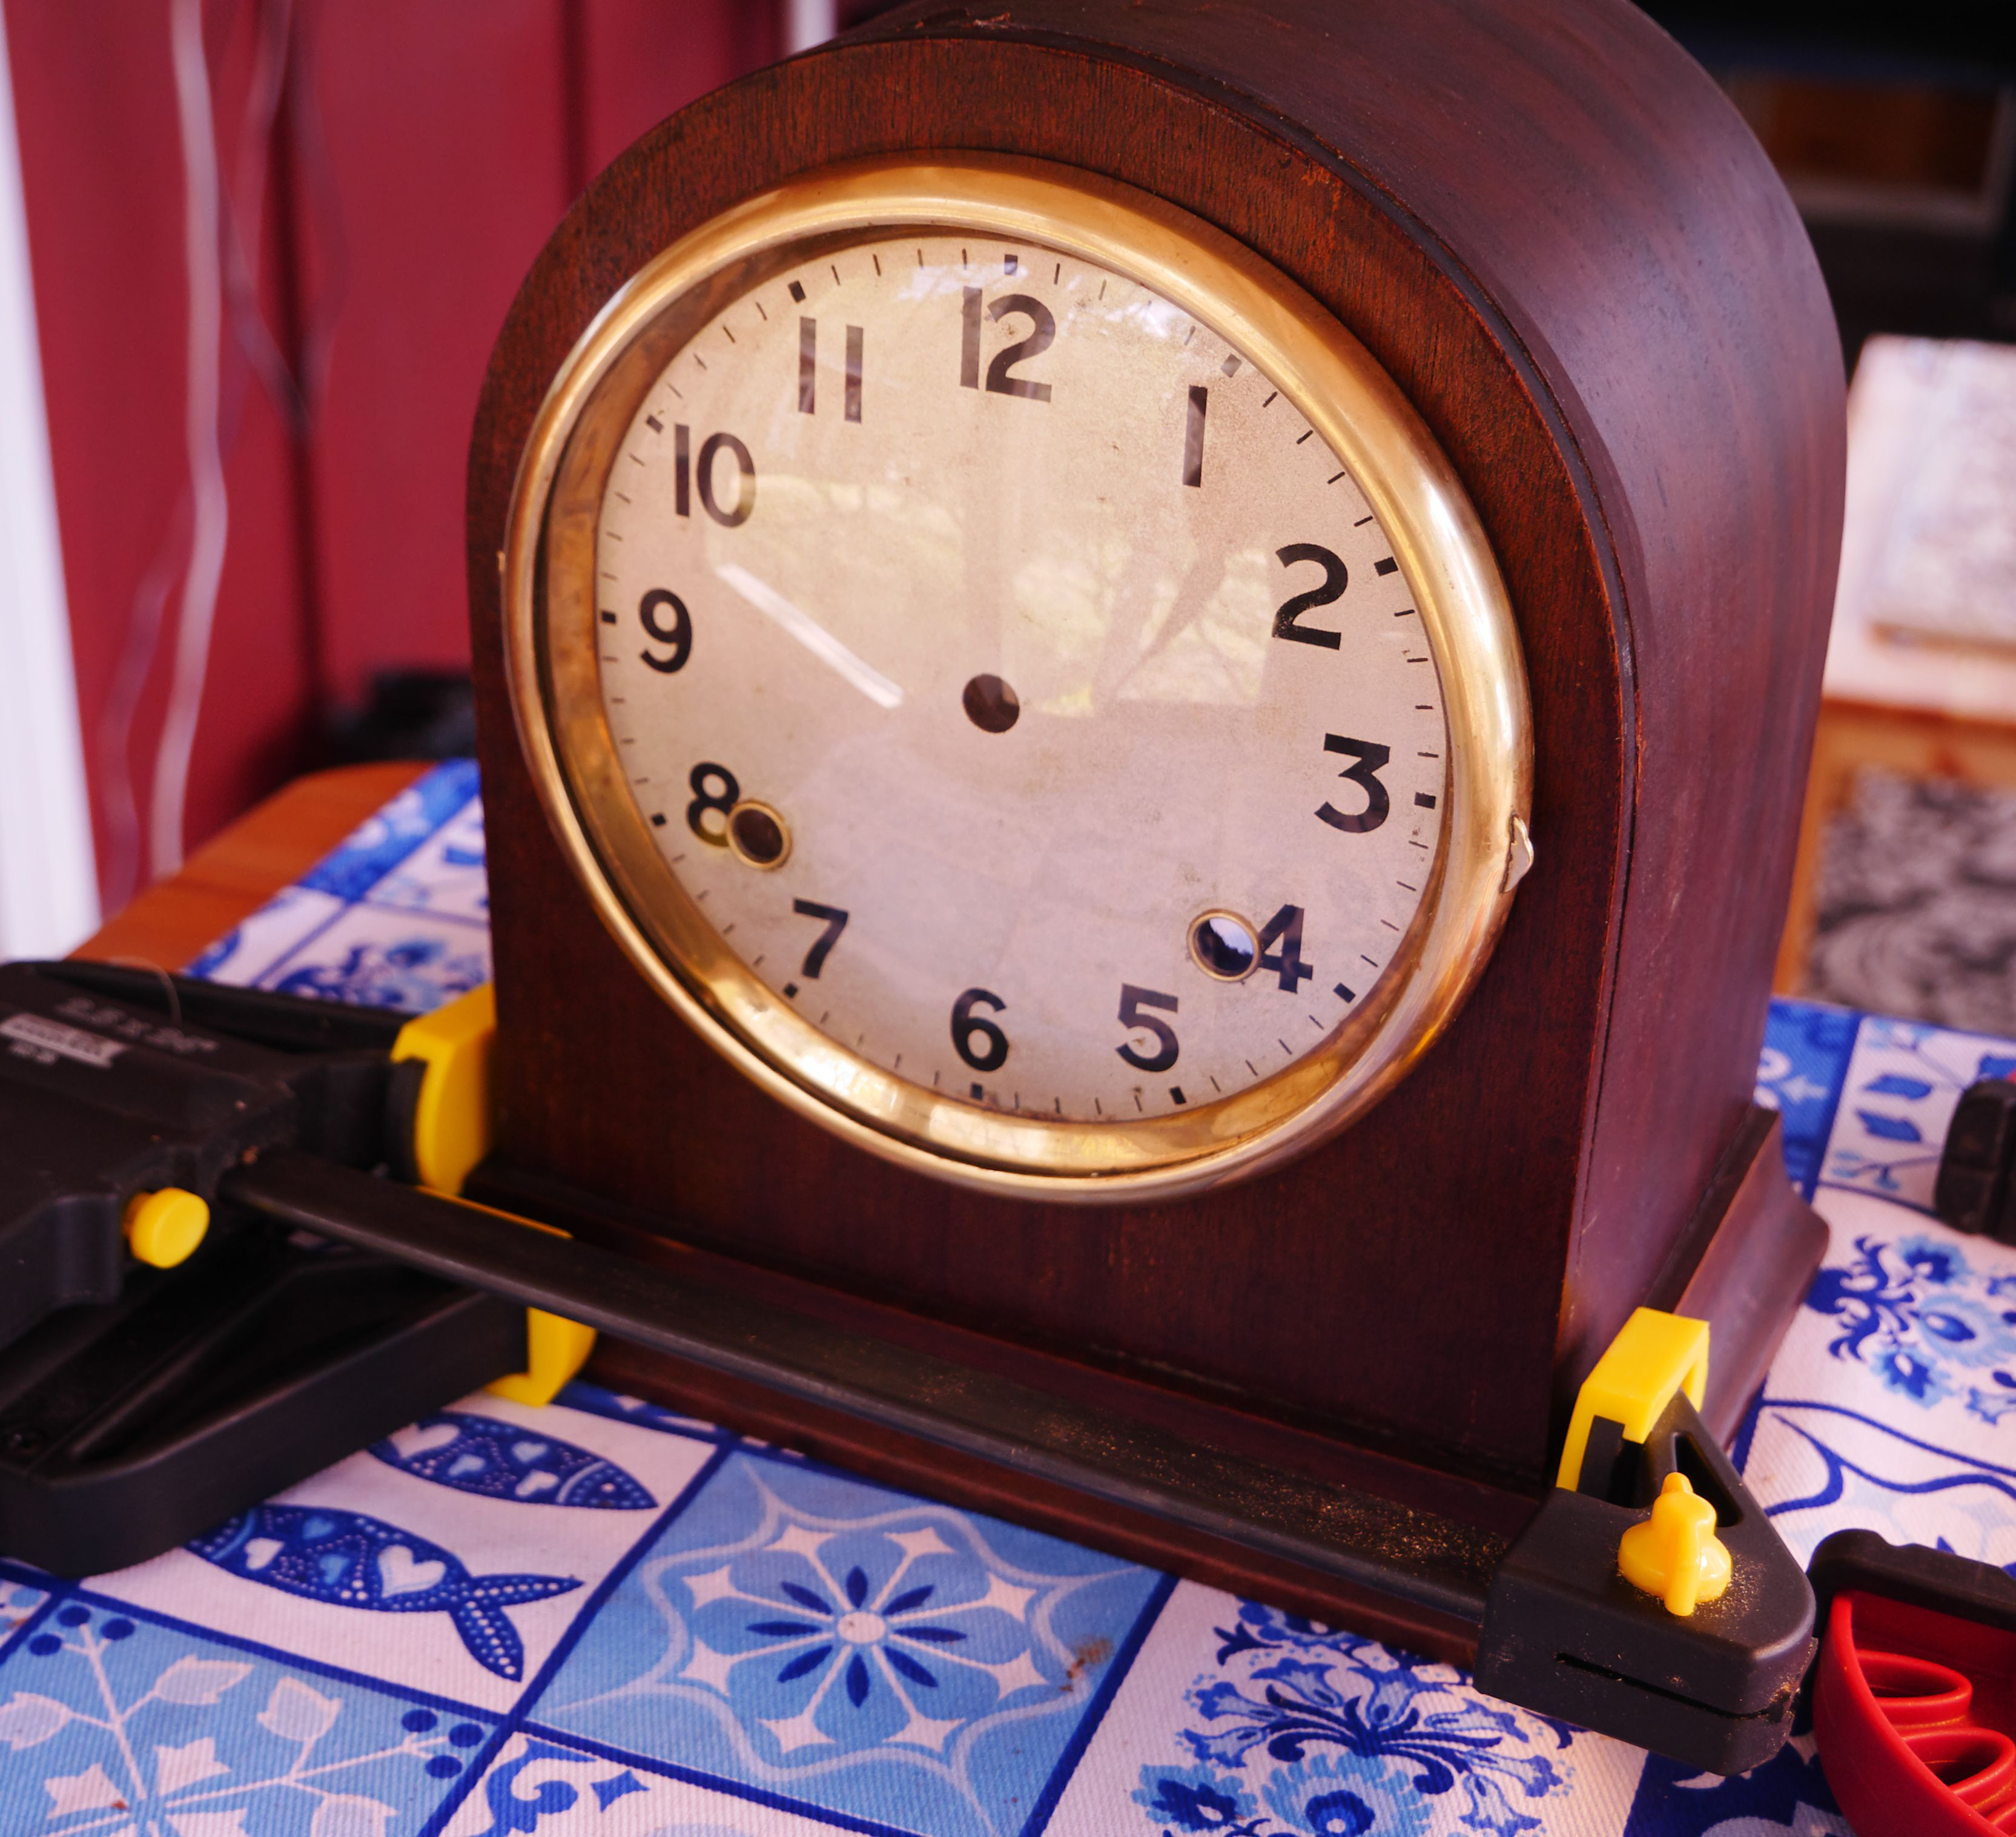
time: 2:48
